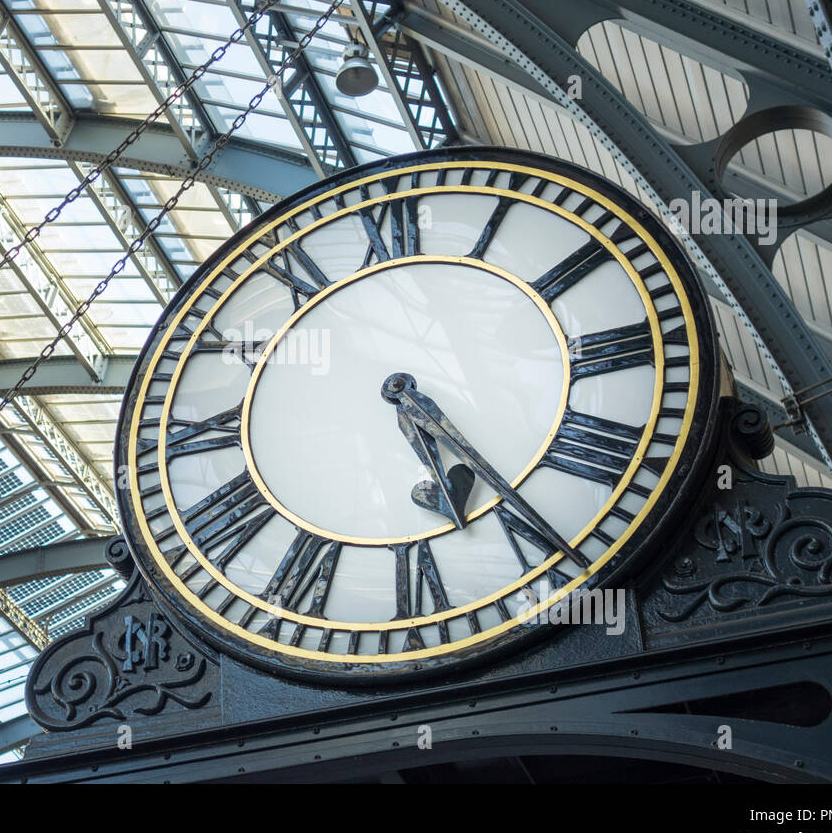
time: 5:24
